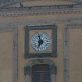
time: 6:58
